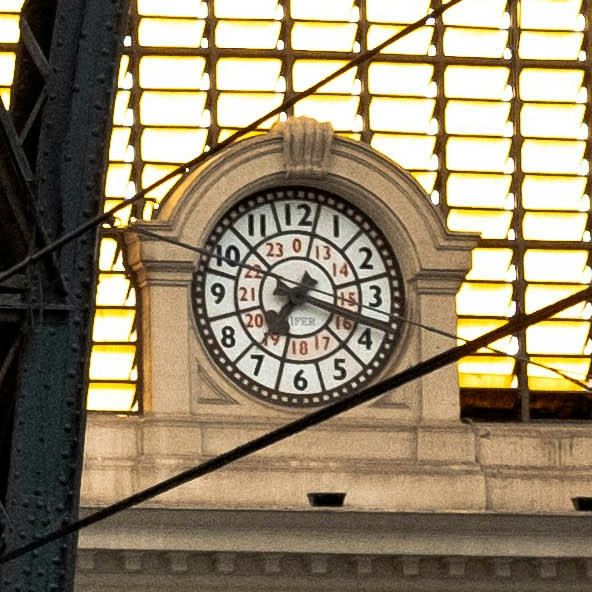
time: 7:18
